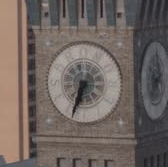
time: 6:33
